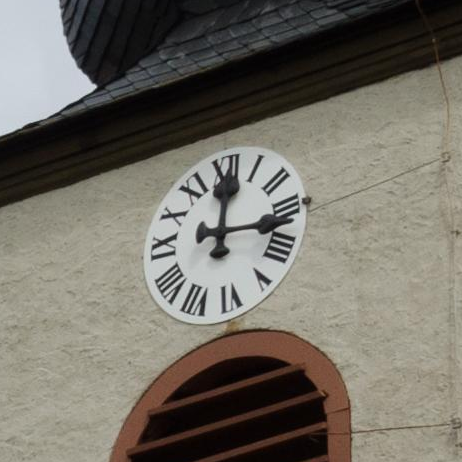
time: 12:16
